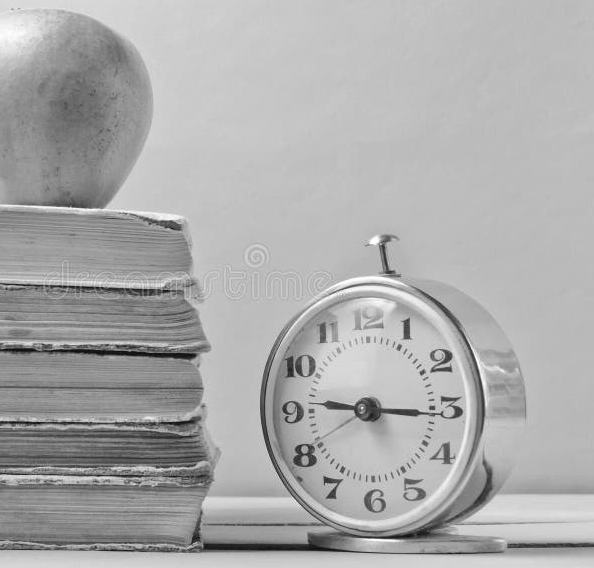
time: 9:15
